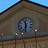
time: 11:31
